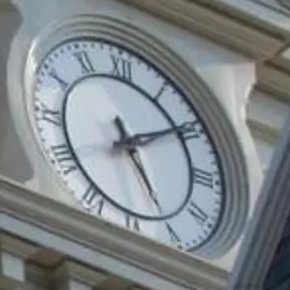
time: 5:09
